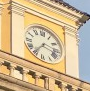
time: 7:17
